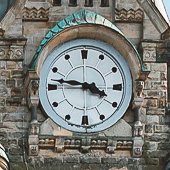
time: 3:46
